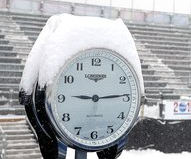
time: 9:14
